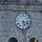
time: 5:17
